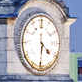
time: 4:30
